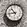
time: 10:43
